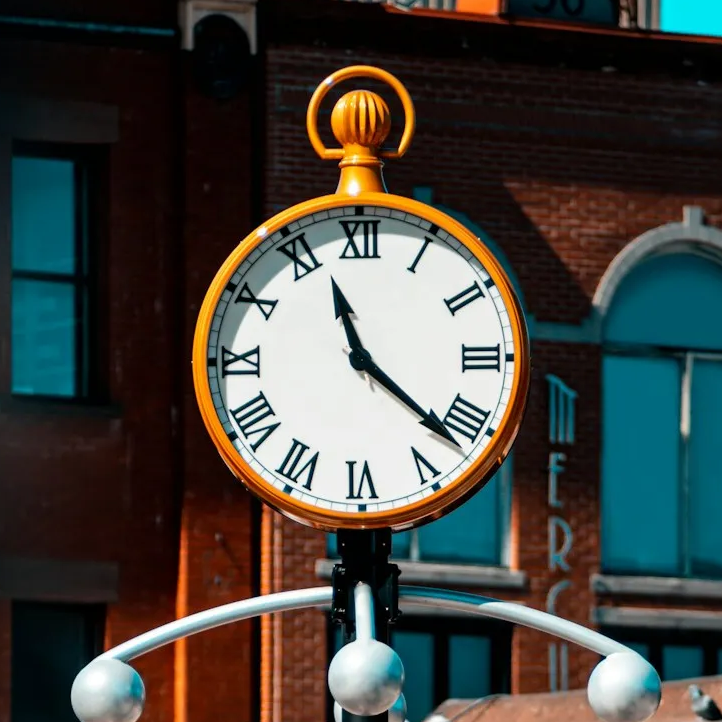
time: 11:21
